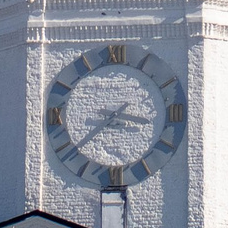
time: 3:38
